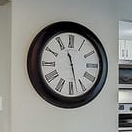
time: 11:27
